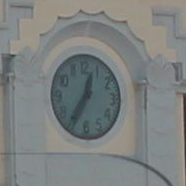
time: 12:35
